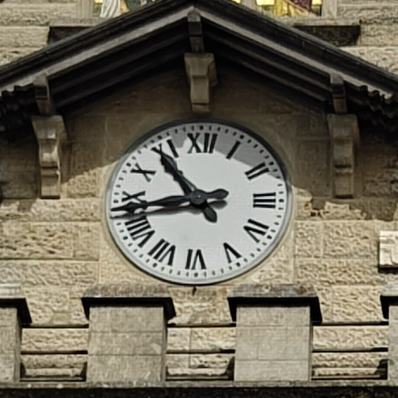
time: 10:43
